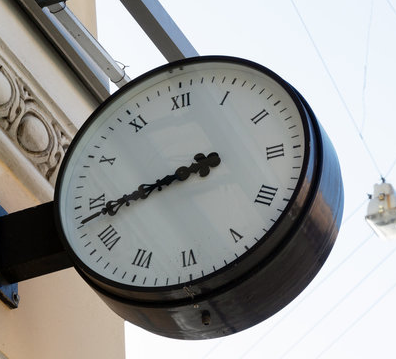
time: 8:43
